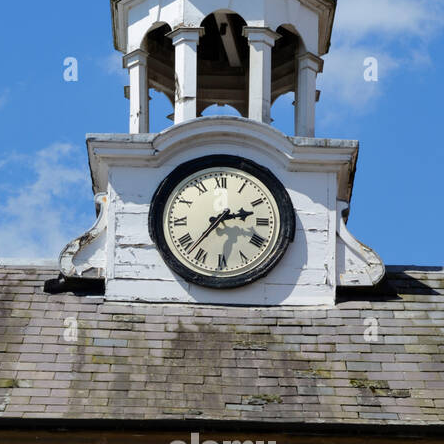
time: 2:36
